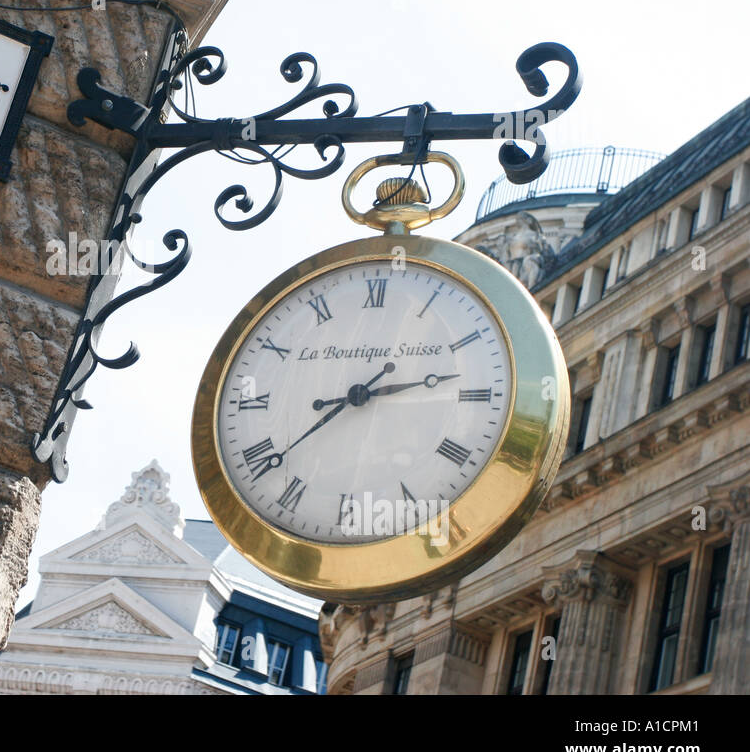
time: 2:38
